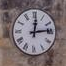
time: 12:13
